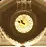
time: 10:47
